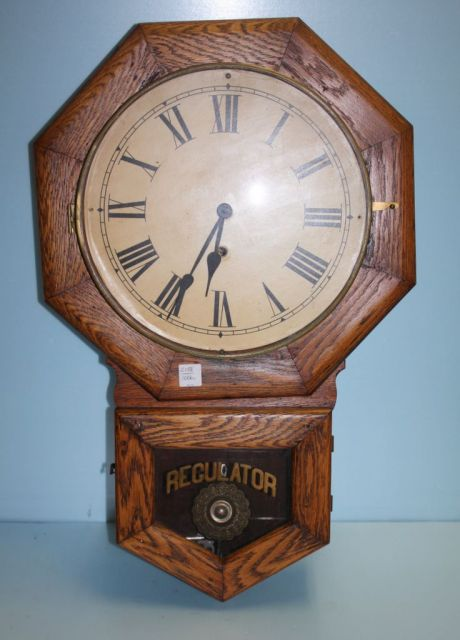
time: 6:34
